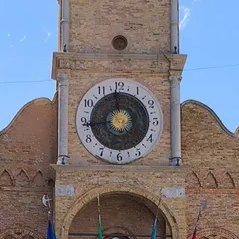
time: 11:44
